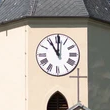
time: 11:00
